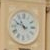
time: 10:48
